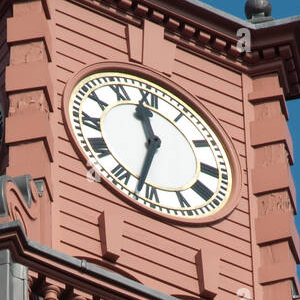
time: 11:32
